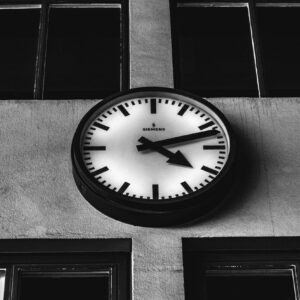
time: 4:12
